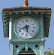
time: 5:42
